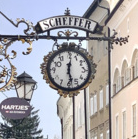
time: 12:27
